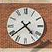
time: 4:38
